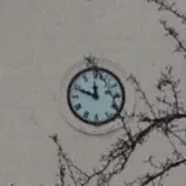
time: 11:48
